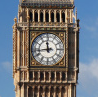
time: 11:43
